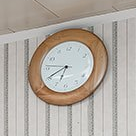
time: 6:40
